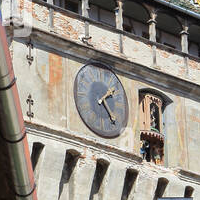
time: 1:23
